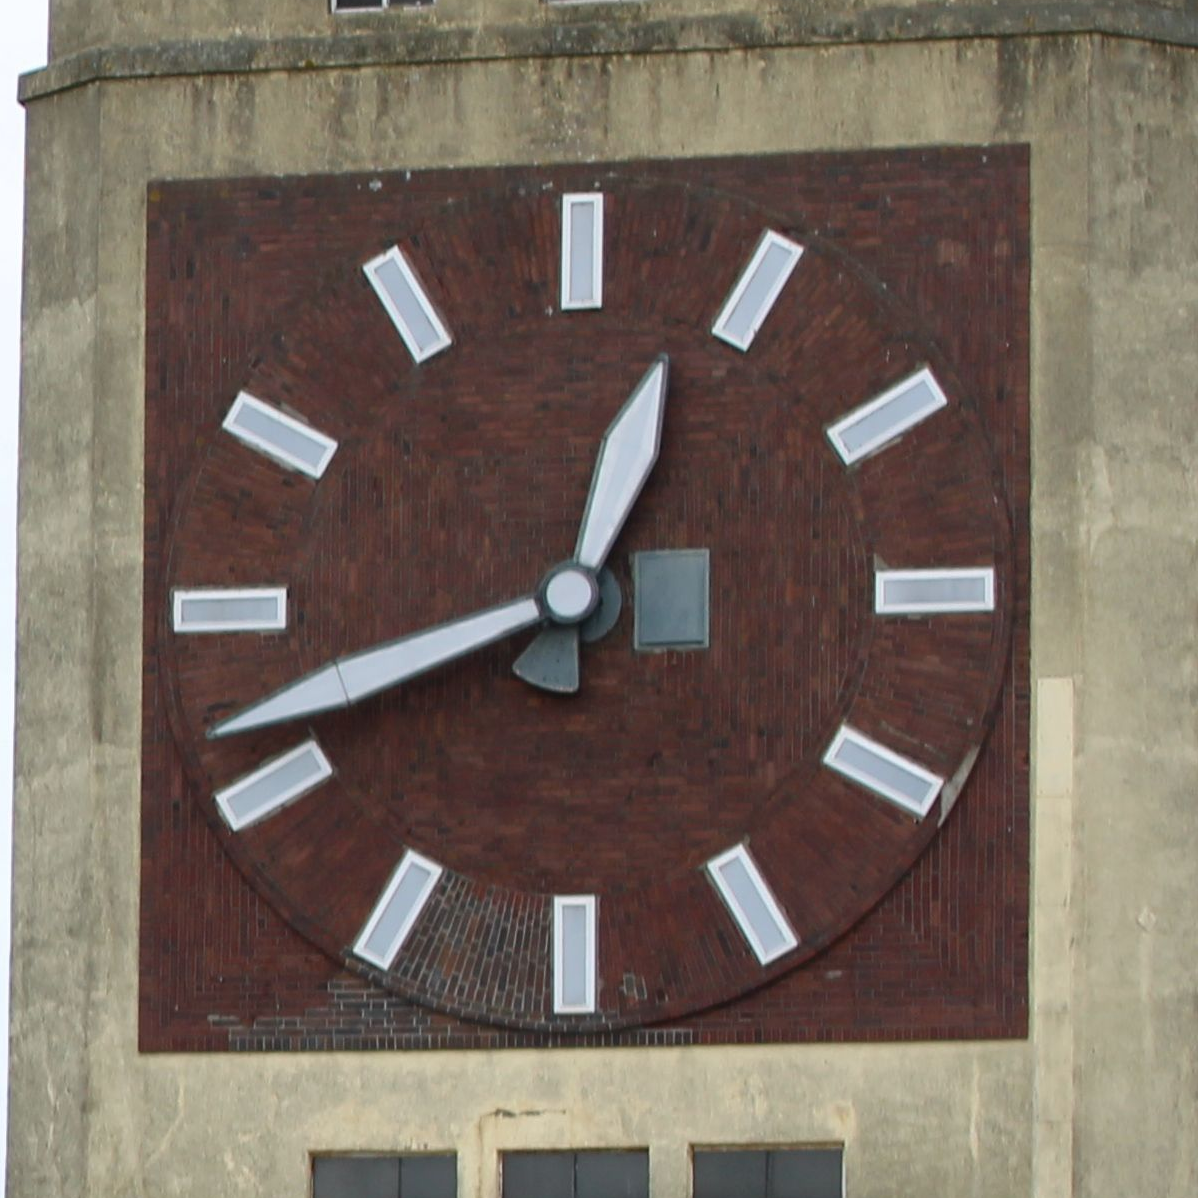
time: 12:41
